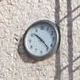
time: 10:23
